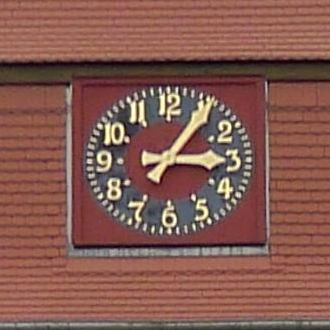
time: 3:05
